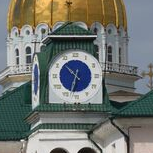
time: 10:32
